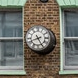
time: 8:25
